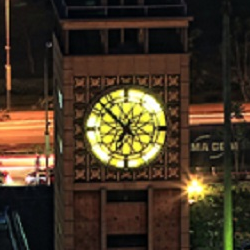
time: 6:52
